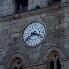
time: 3:39
